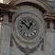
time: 12:52
